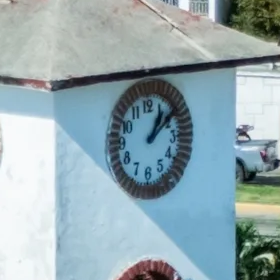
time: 1:08
